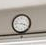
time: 3:46
